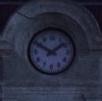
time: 1:50
